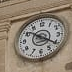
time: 10:20
